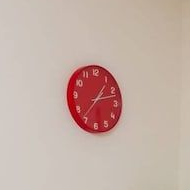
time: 1:12
